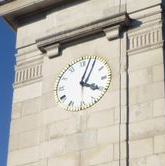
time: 4:03
